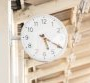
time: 5:20
